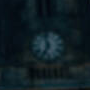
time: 6:58
